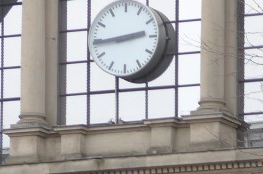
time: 2:44
